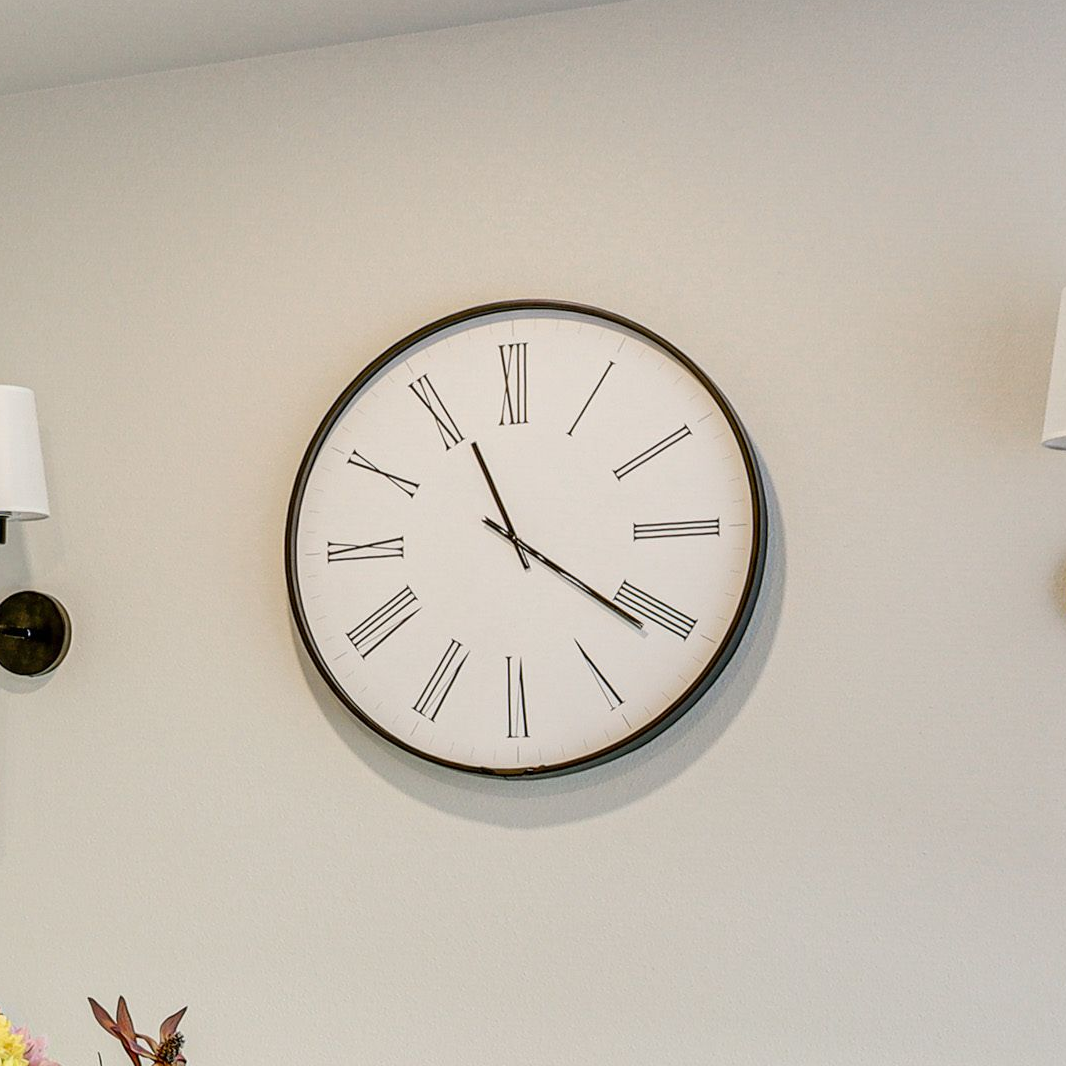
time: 11:20
